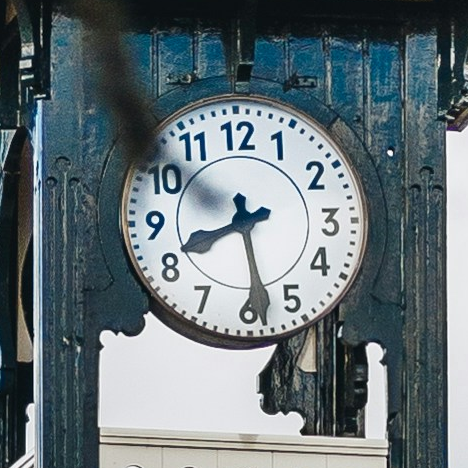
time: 8:28
